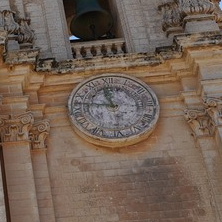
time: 11:46
